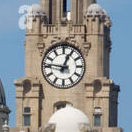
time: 12:46
